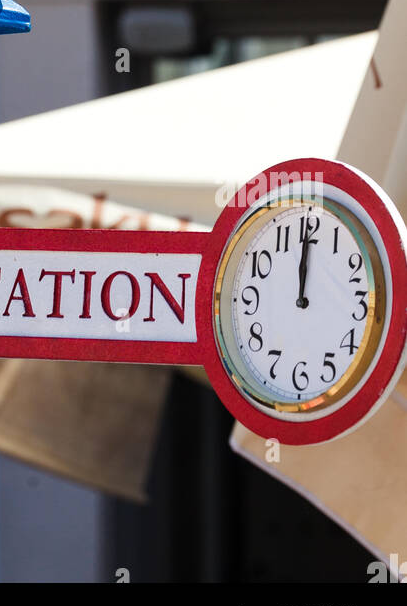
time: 11:59
